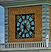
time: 4:34
